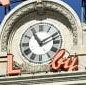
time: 11:09
